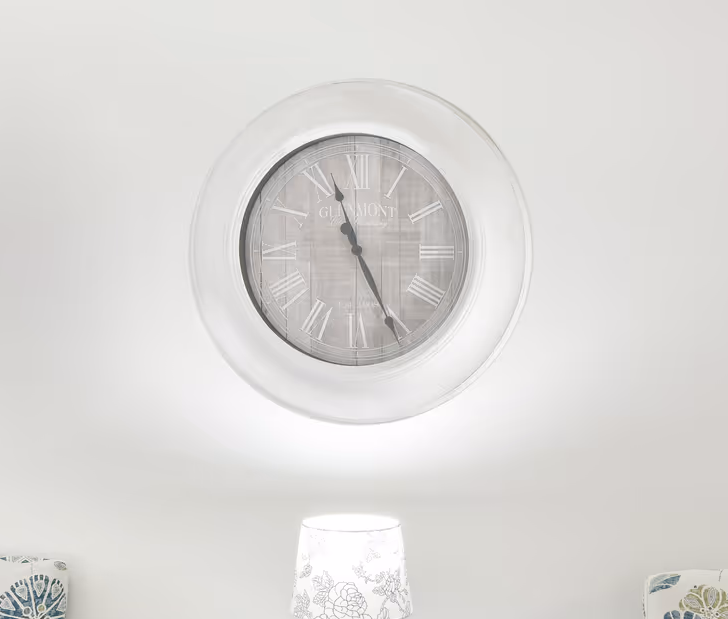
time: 11:25
